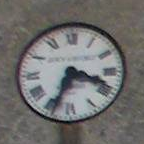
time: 3:33
